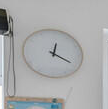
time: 12:19
